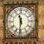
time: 11:31
